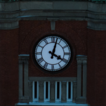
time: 4:02
